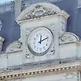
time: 12:11
